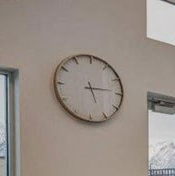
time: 5:14
